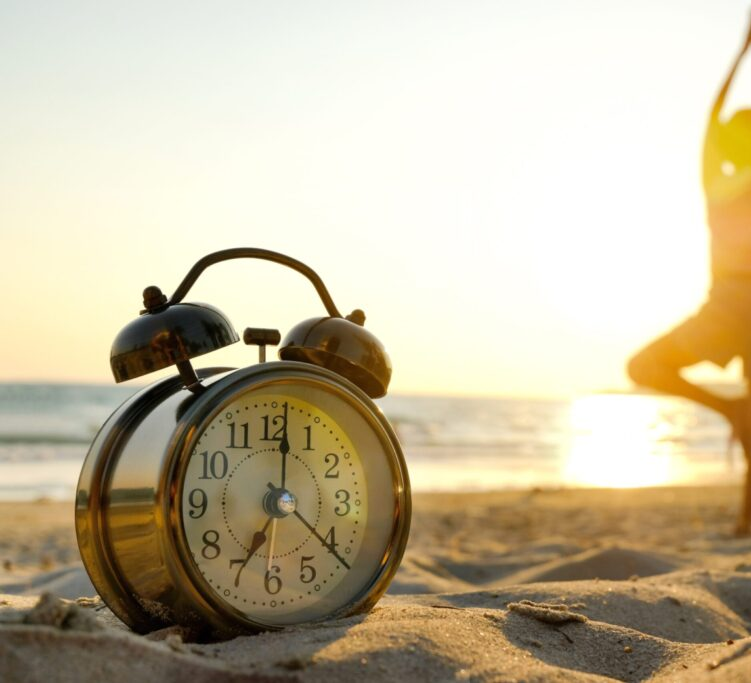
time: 7:01
